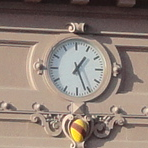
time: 1:26
